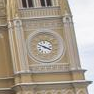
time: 3:48
